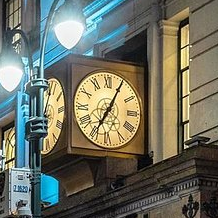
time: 7:04
